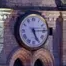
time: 5:14
